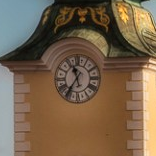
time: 11:35
